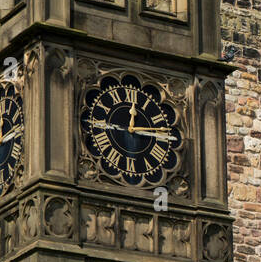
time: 12:14
